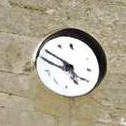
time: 4:49
